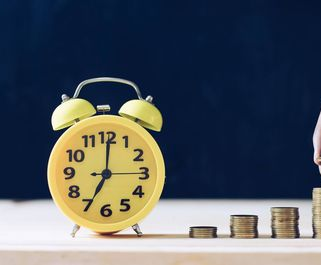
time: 7:00
